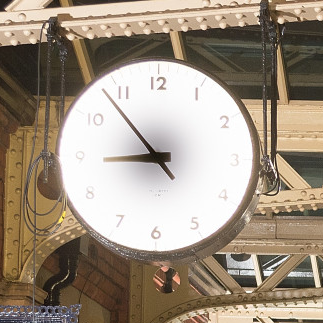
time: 8:53
